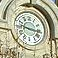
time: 3:16
